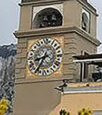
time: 8:35
